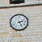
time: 2:25
